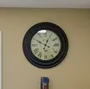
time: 12:49
